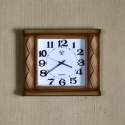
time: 3:39
